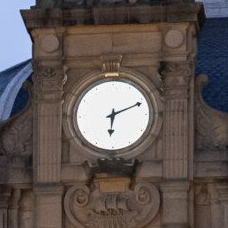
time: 6:11
